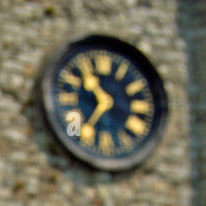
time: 10:36
